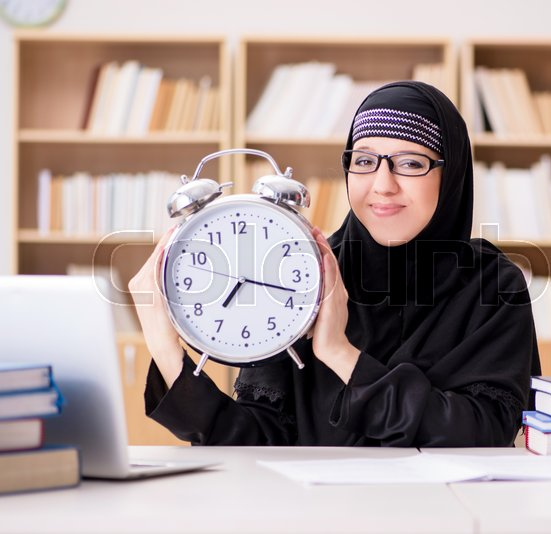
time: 7:17
